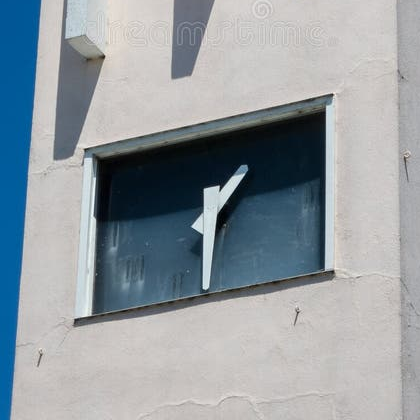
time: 1:31
